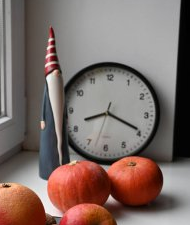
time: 8:19
